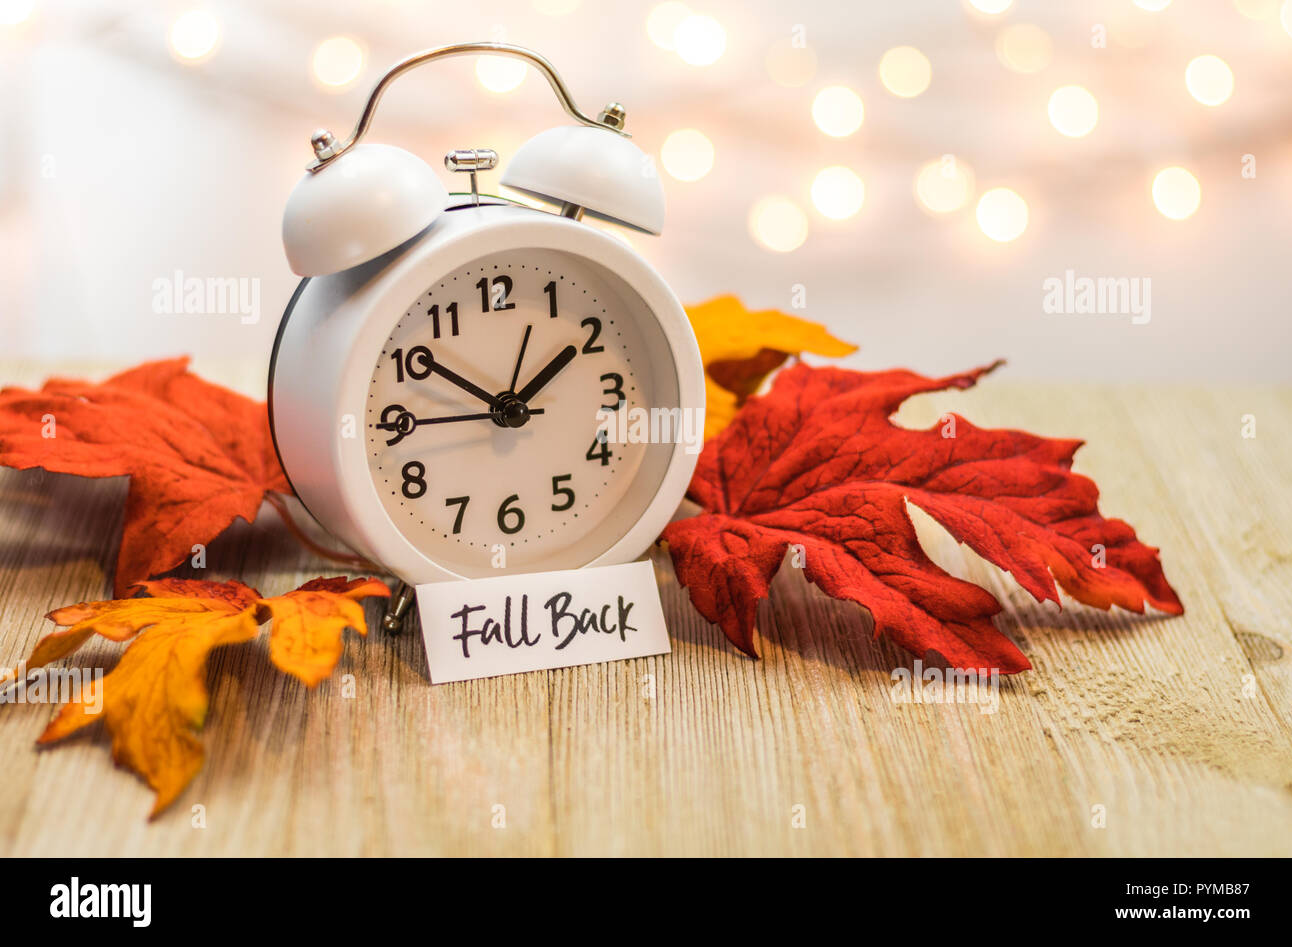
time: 1:51
